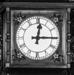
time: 12:14
